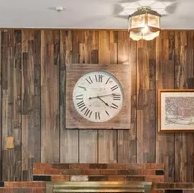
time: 4:13
